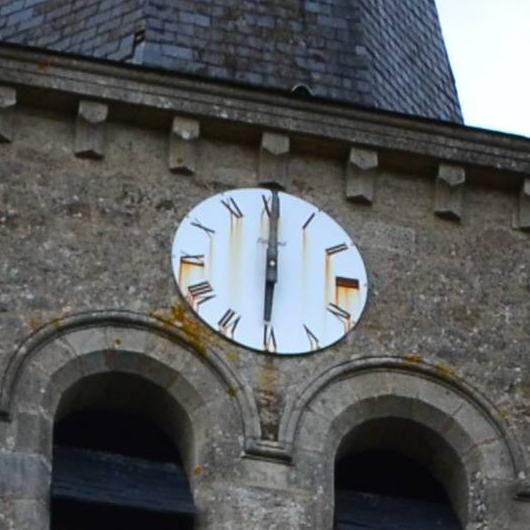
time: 6:00
